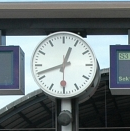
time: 12:42
